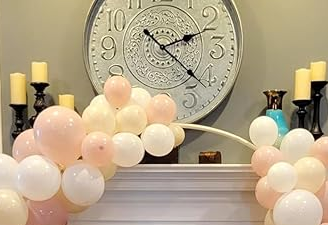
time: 2:21
